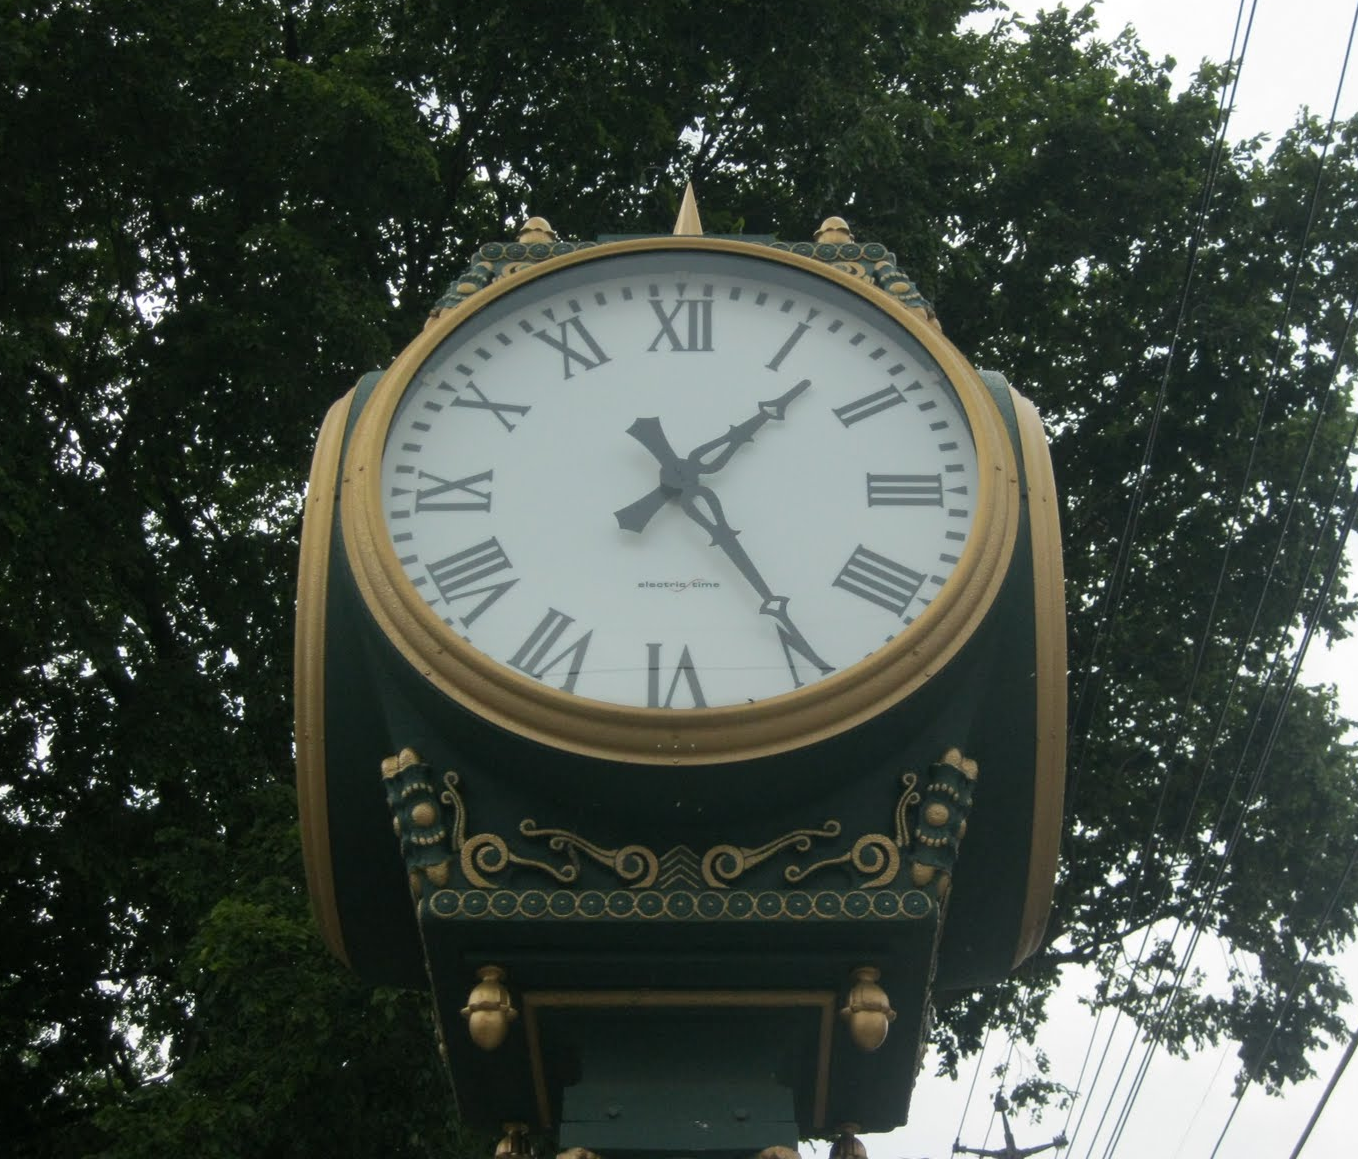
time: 1:24
